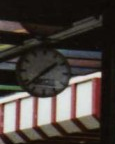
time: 1:37
